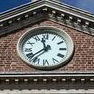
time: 11:37
